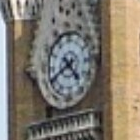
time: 4:40
